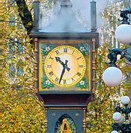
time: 10:33
